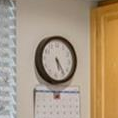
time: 5:23
